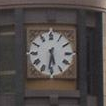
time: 5:31
